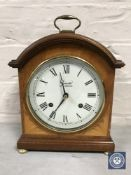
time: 11:35
